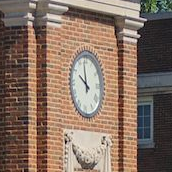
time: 9:58
